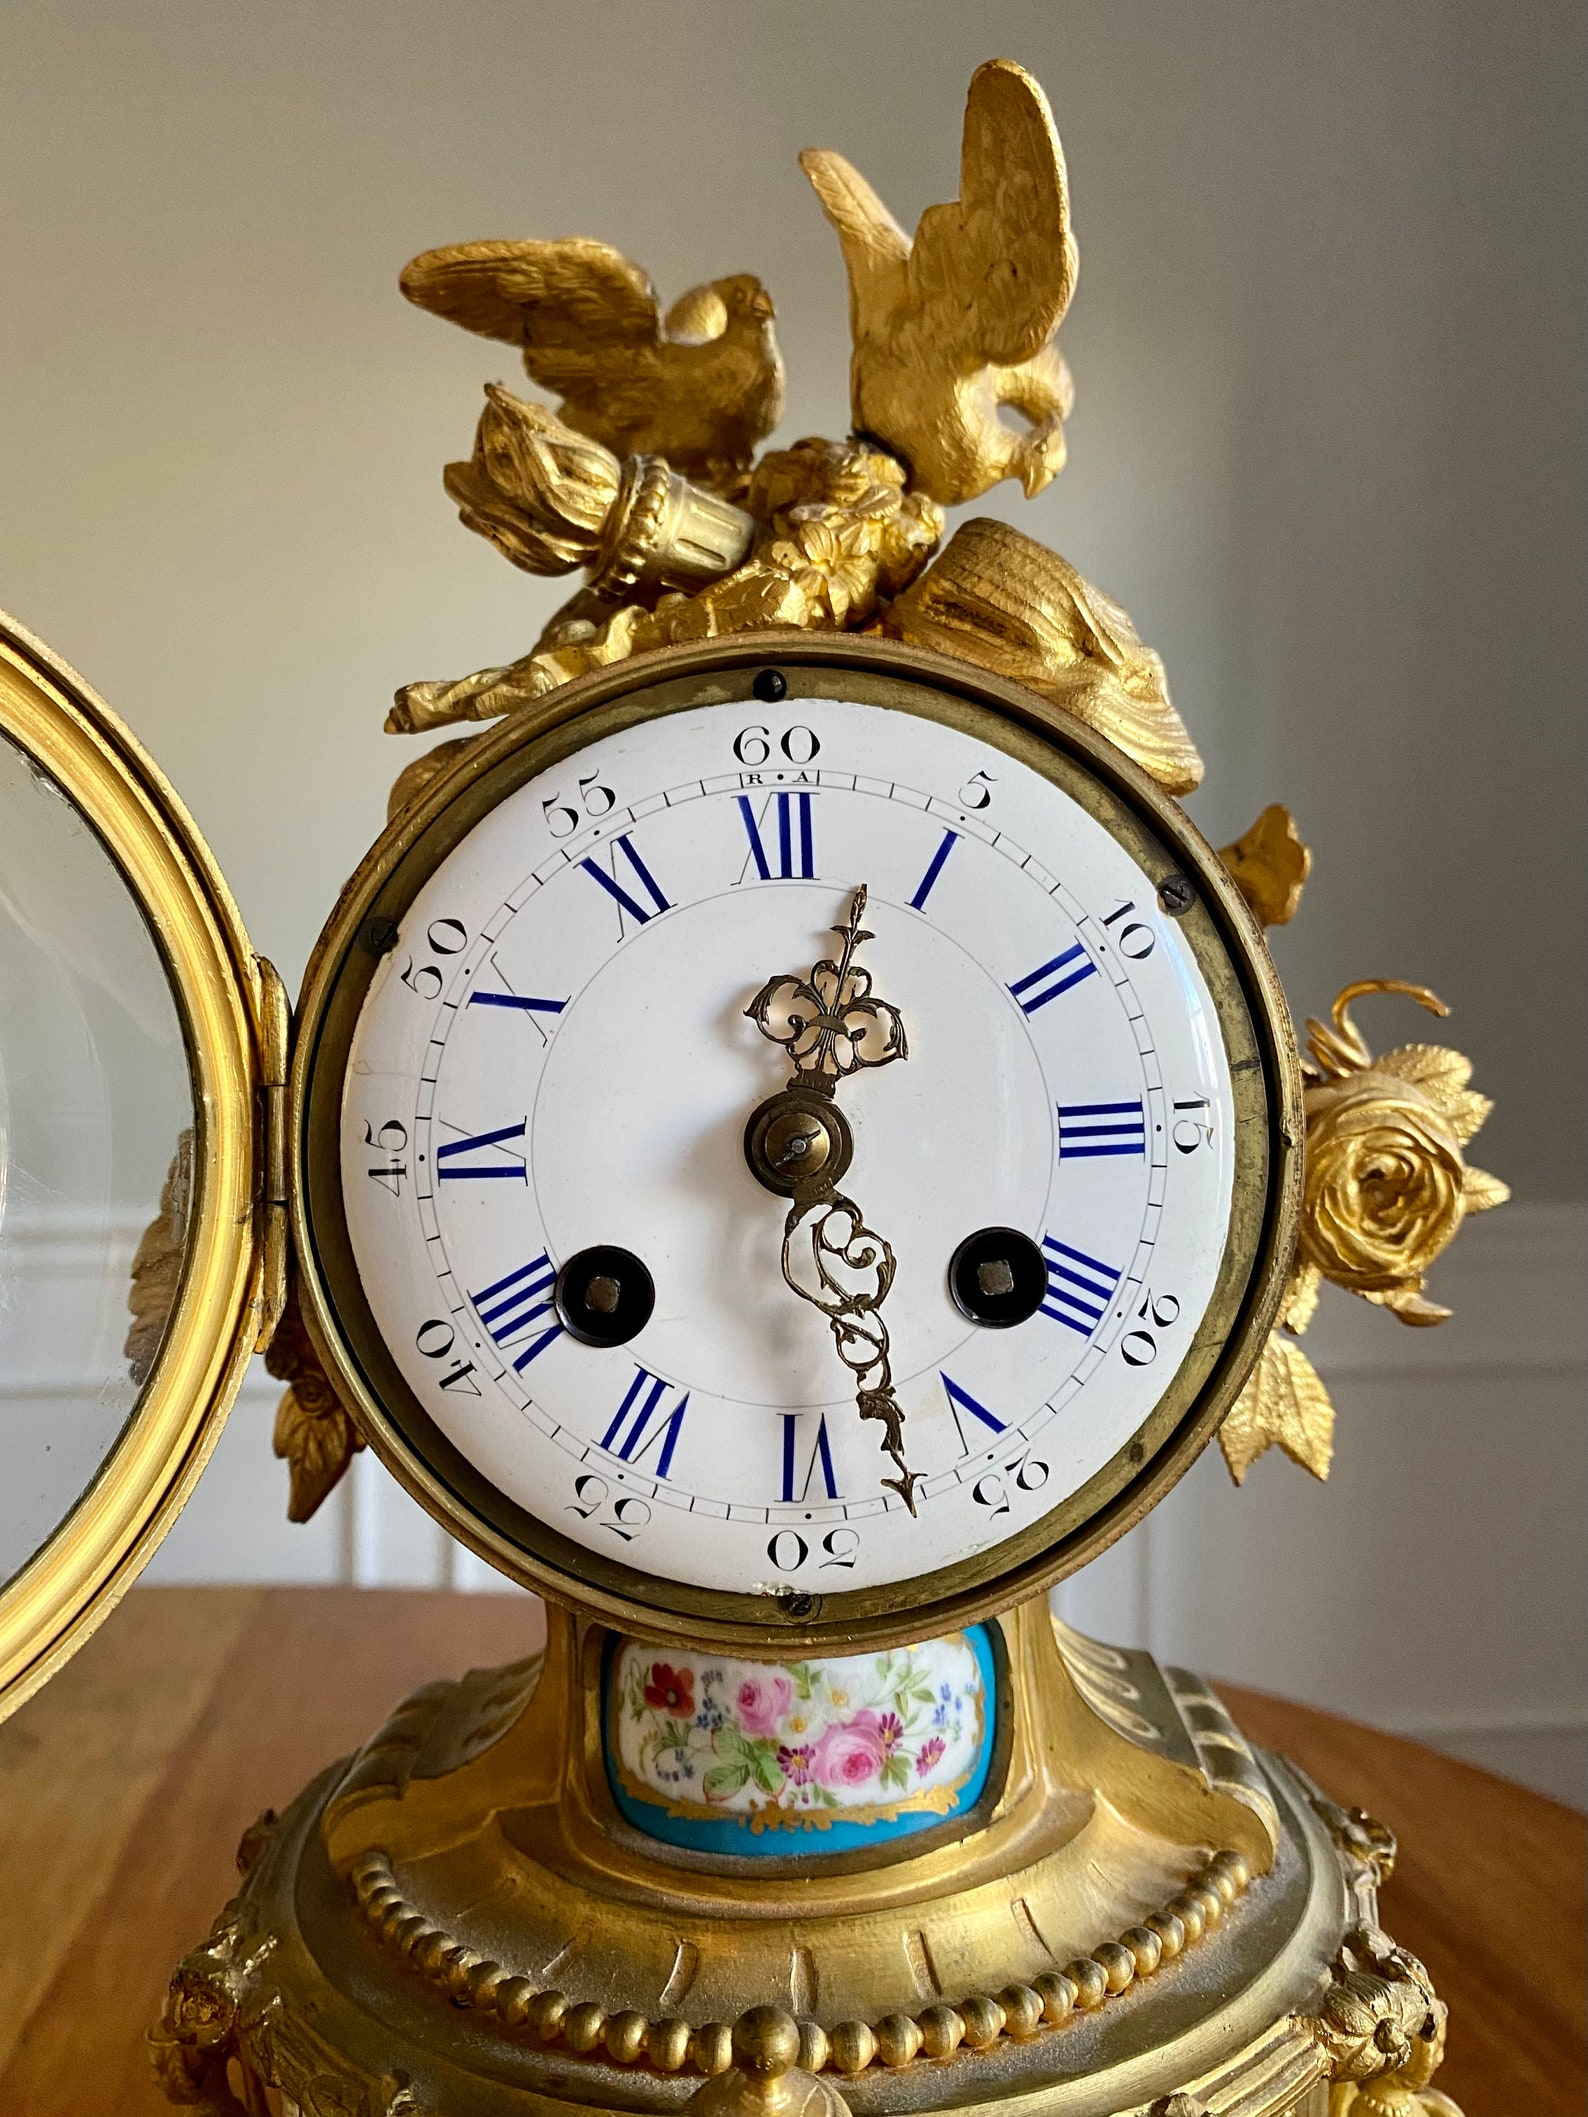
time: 12:27
